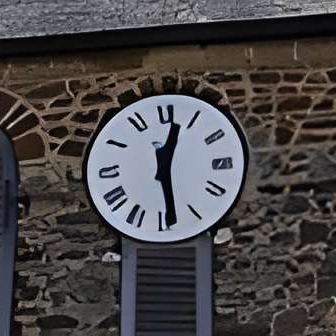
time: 12:28
